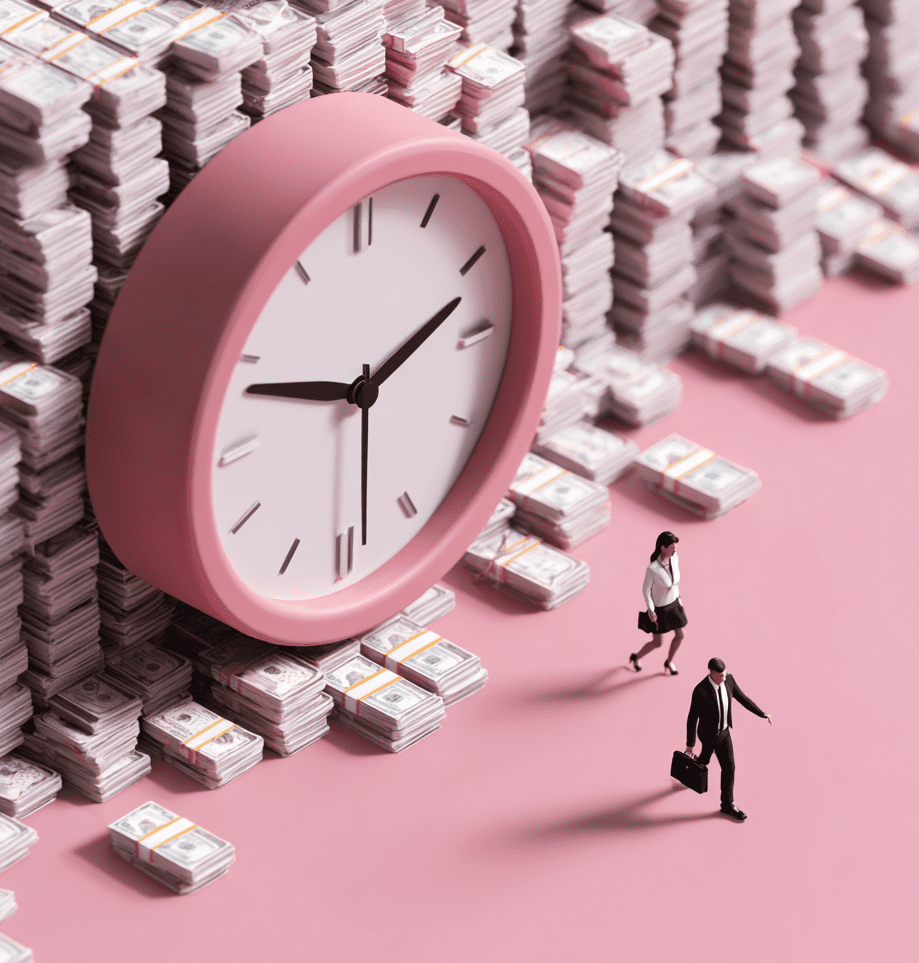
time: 2:48
